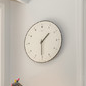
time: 1:30
